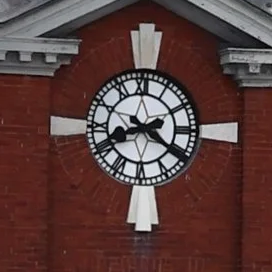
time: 8:20
